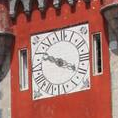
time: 9:19
